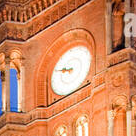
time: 8:45
